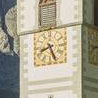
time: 8:26
